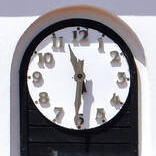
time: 11:30
